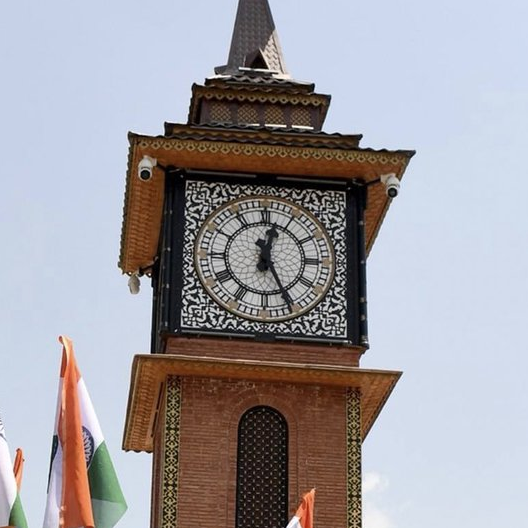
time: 12:25
